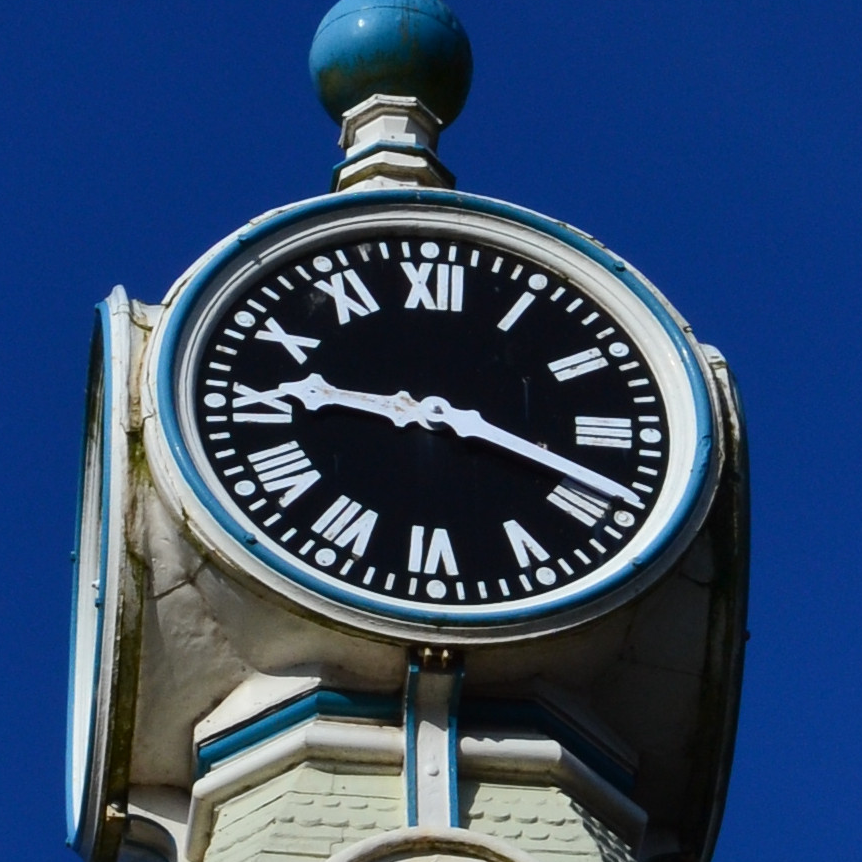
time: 9:18
